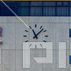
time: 11:07
